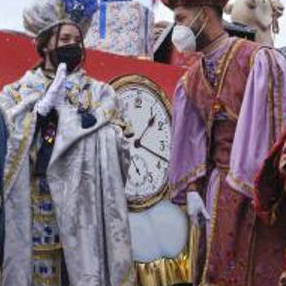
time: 1:18
